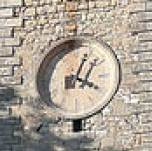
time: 4:04
